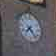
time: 7:23
